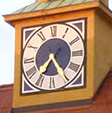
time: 7:25
